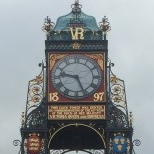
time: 9:26
